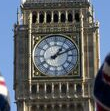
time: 1:11
